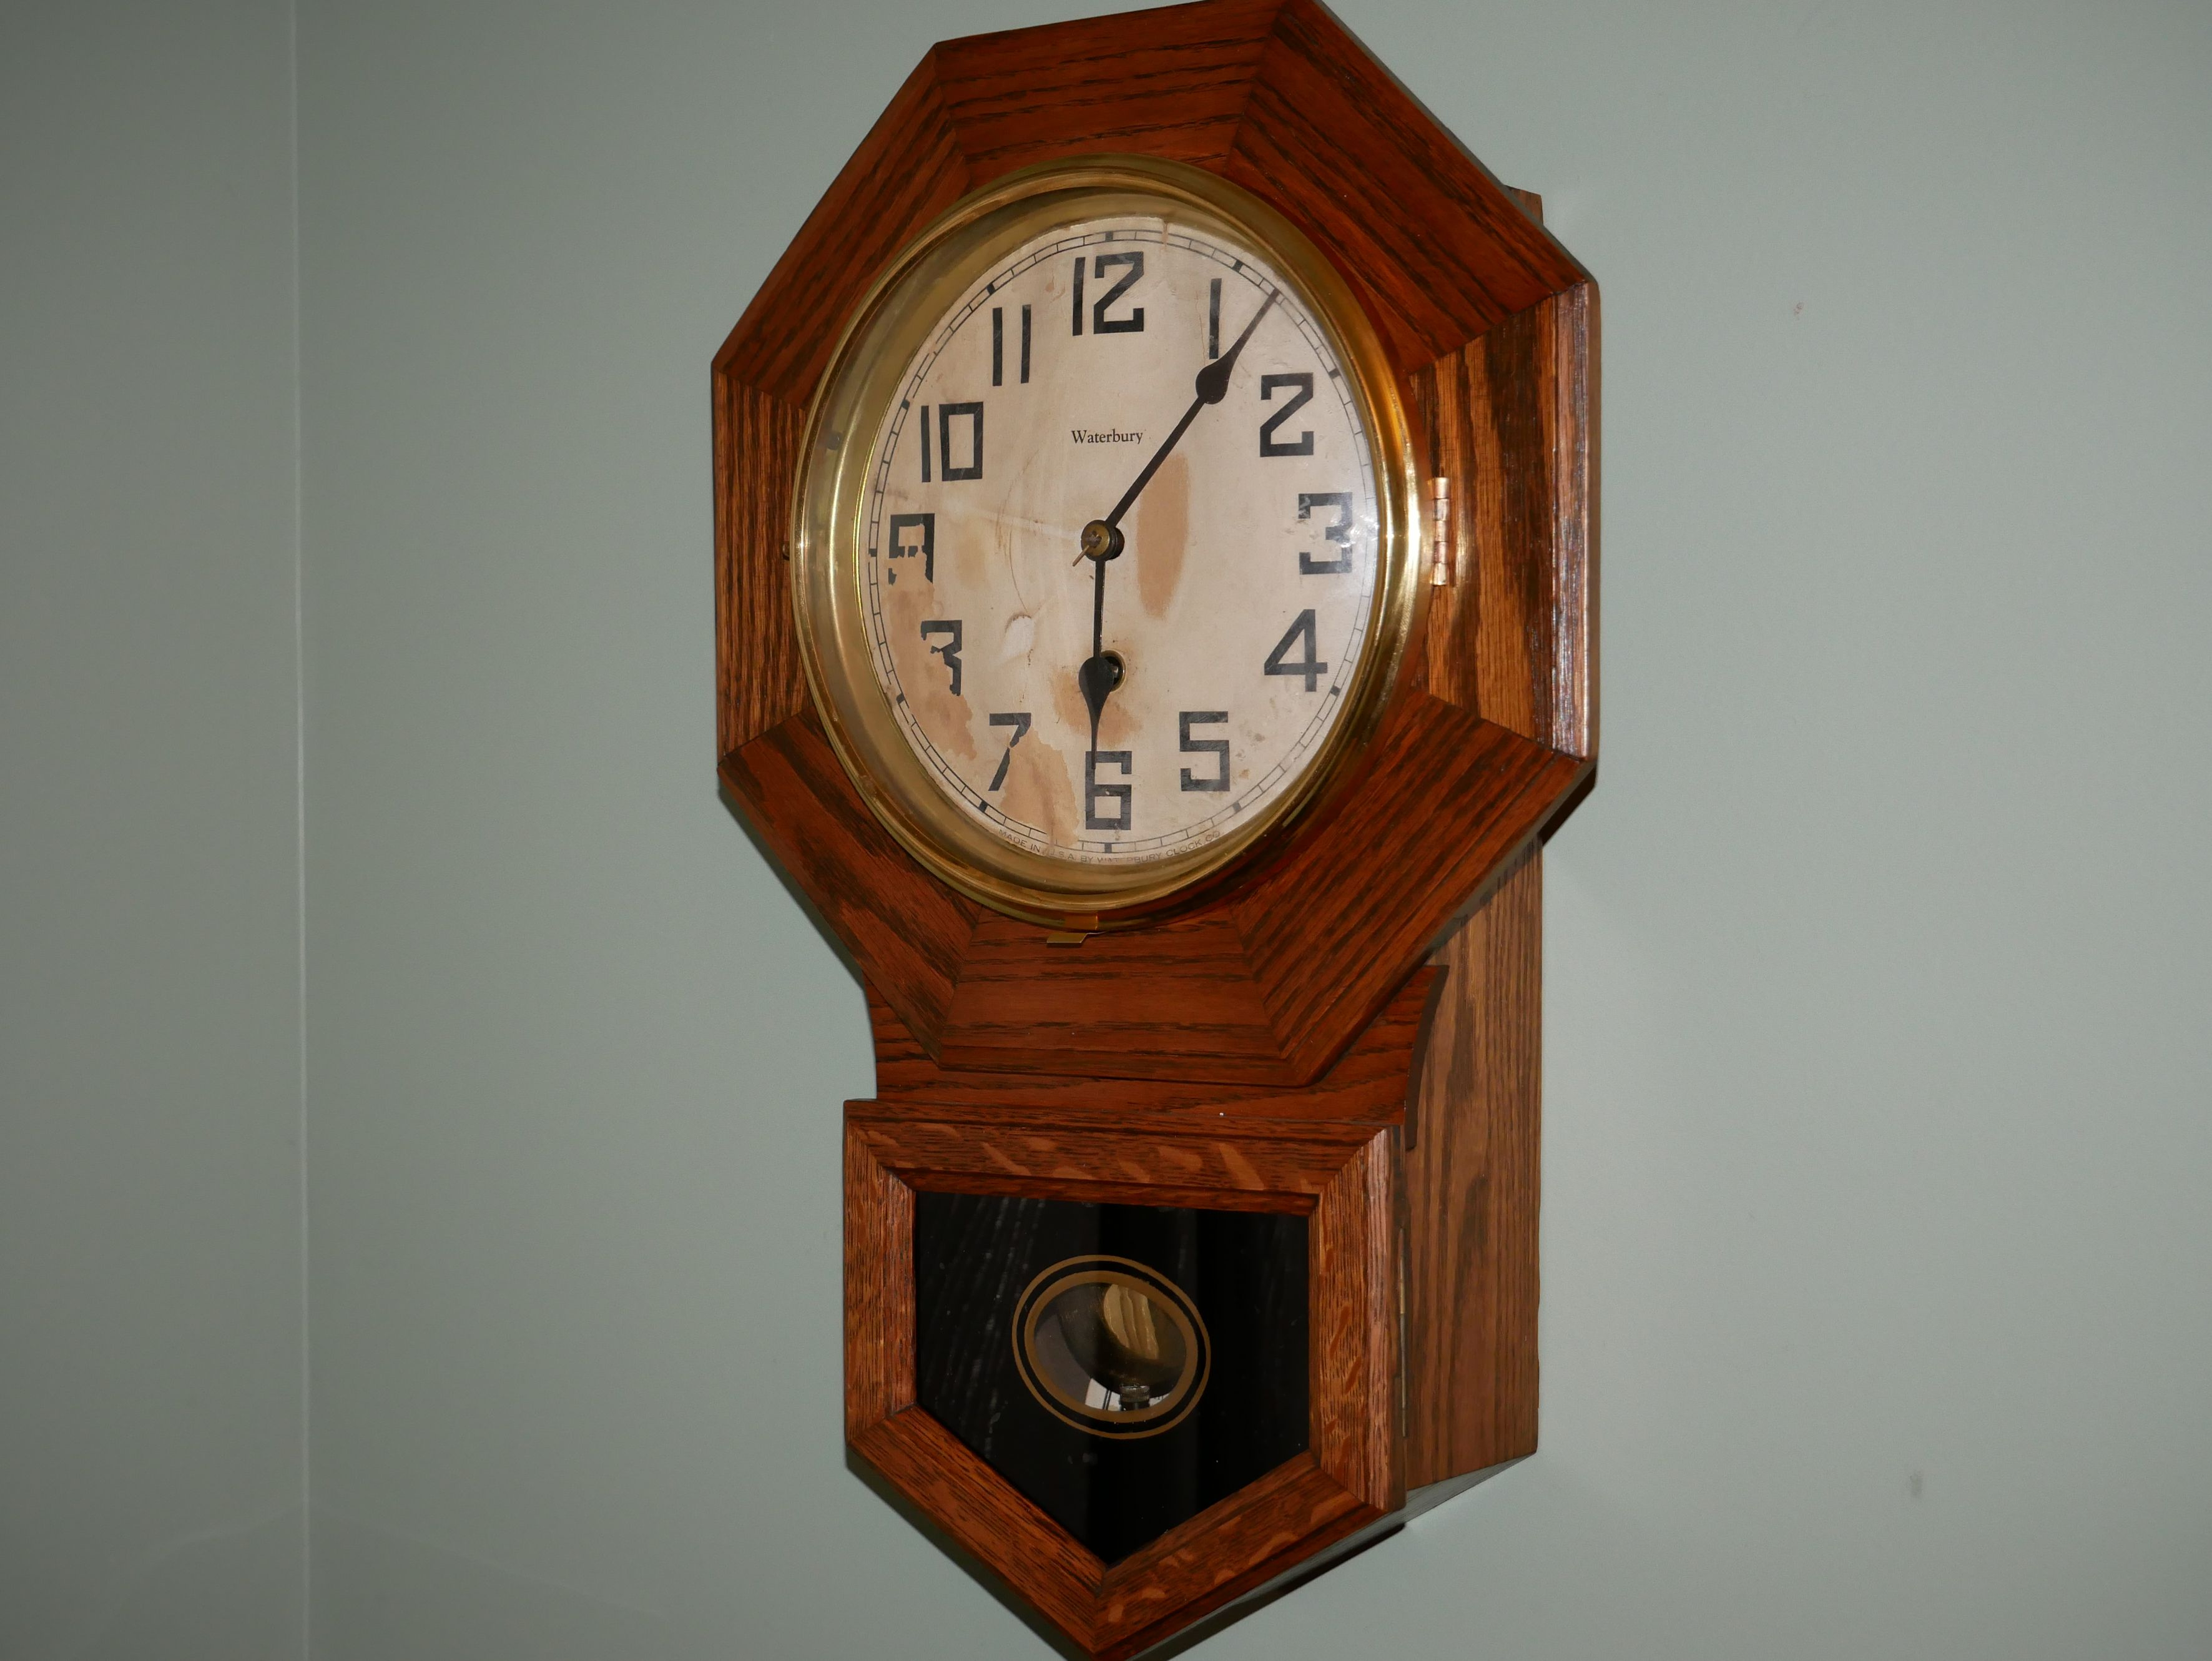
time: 6:06
